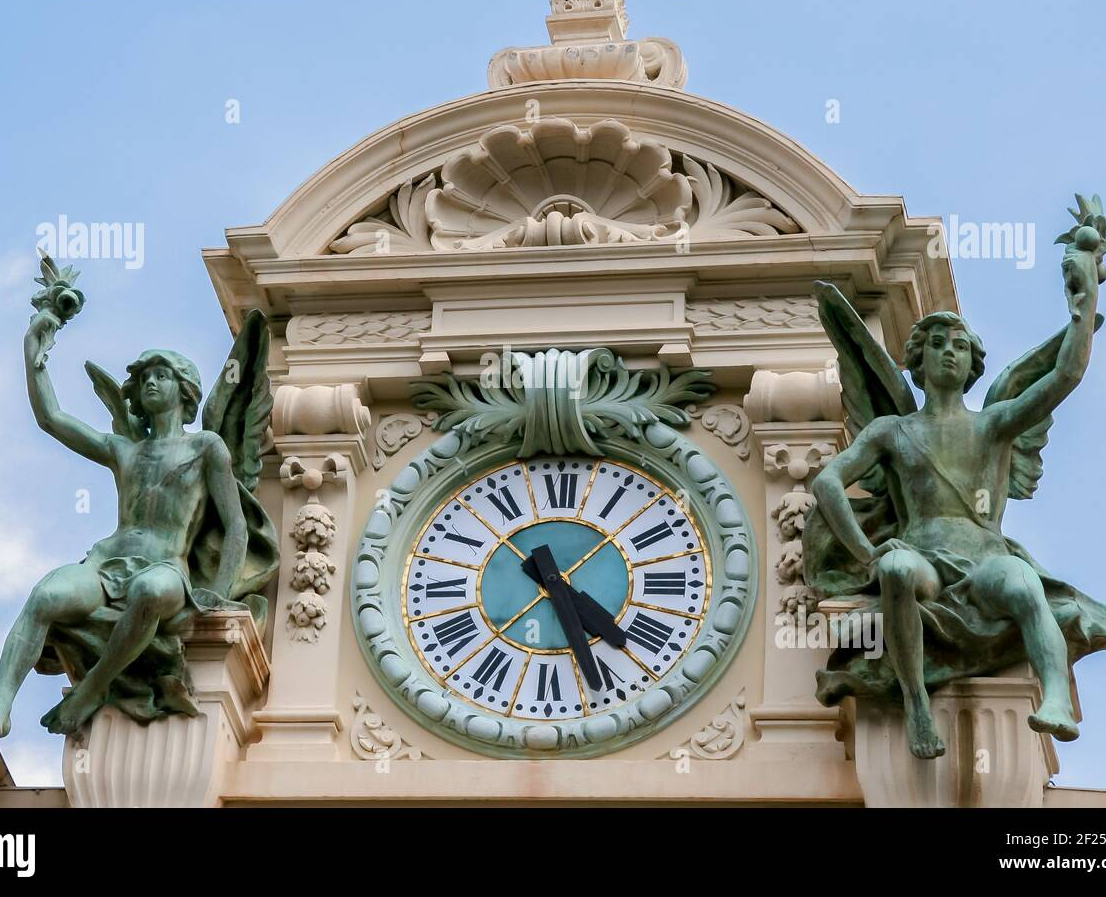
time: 4:26
